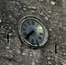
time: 7:37
